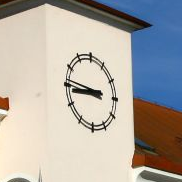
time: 8:46
